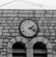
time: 2:18
